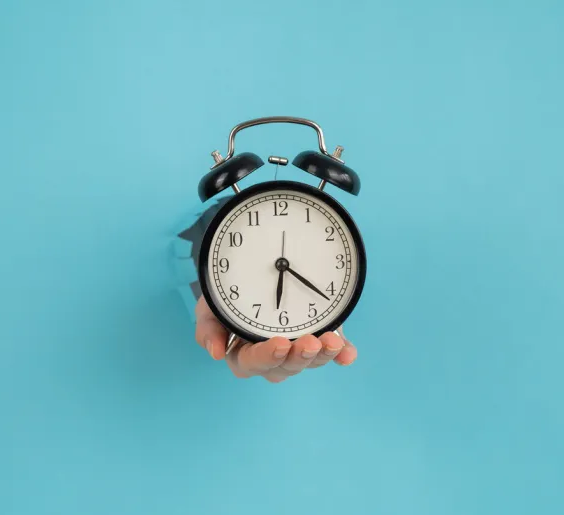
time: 6:21
